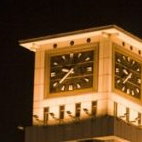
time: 9:38
